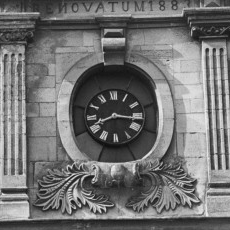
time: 8:16
